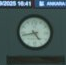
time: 4:42
